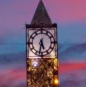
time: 5:32
